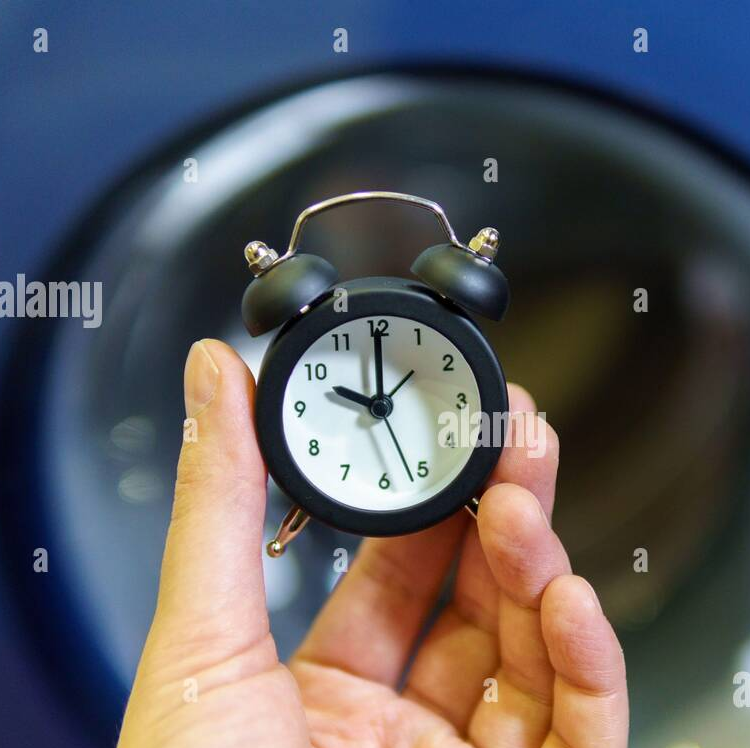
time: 10:00
